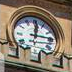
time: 12:14
